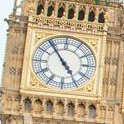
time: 4:54
